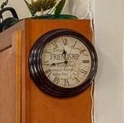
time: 11:43
